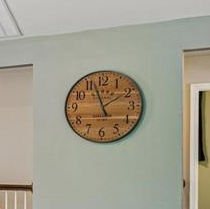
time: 1:56
